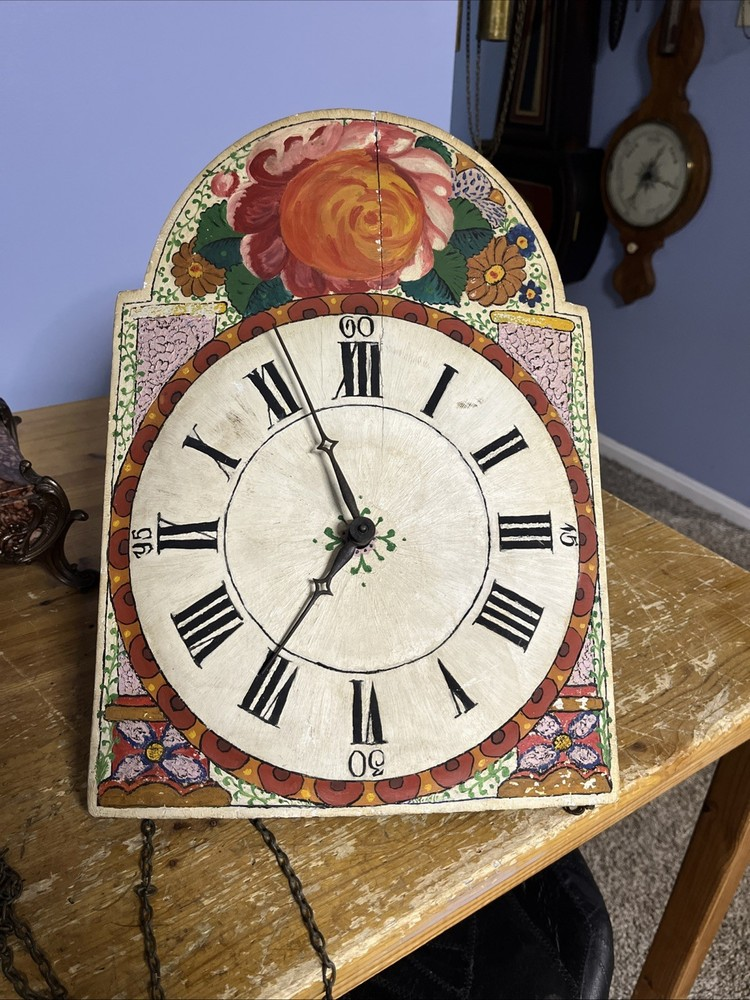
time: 6:56
